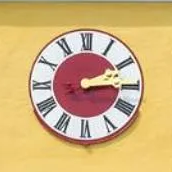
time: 2:14
